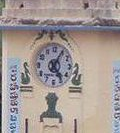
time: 5:05
